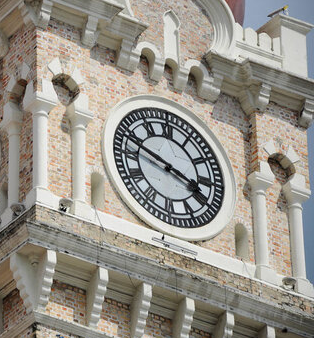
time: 3:48
